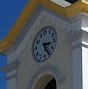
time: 3:24
